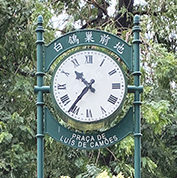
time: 10:36
